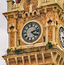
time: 4:12
